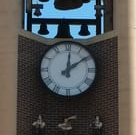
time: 12:09
